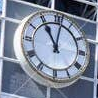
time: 11:01
